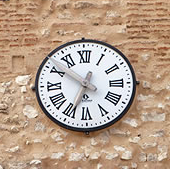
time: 6:50
